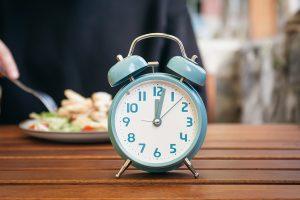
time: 12:02
